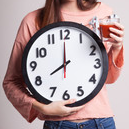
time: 7:59
